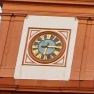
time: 6:15
